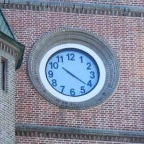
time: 10:21
